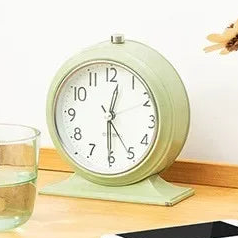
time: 12:30
